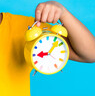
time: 9:07
